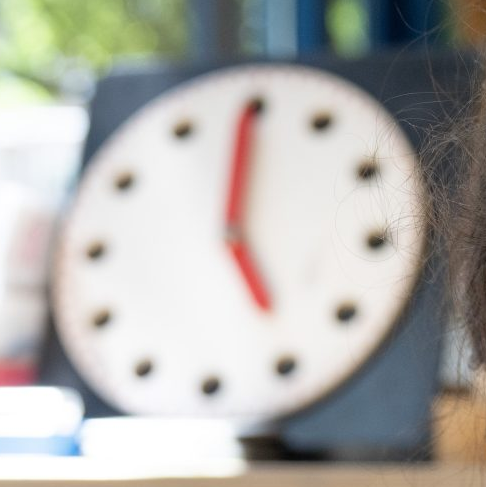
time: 4:59
